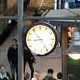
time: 8:53
